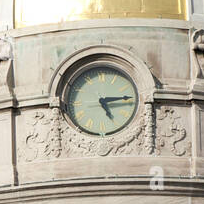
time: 5:14
